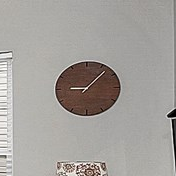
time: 9:07
